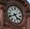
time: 4:40
